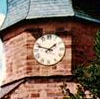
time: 1:47
